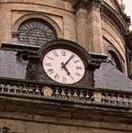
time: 5:05
